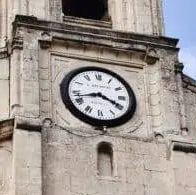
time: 3:42
